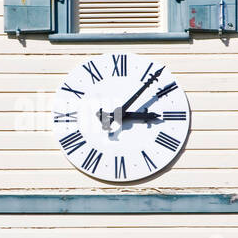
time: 3:06
